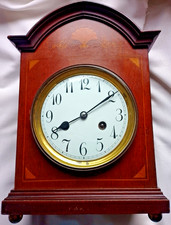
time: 8:09
